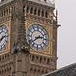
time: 2:39
